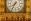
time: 7:34
